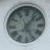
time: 5:06
